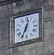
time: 12:34
